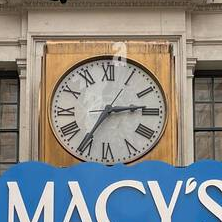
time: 2:35
